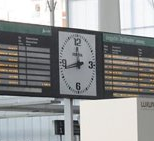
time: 11:43
